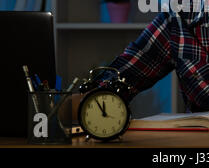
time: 11:54
